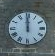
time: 11:59
